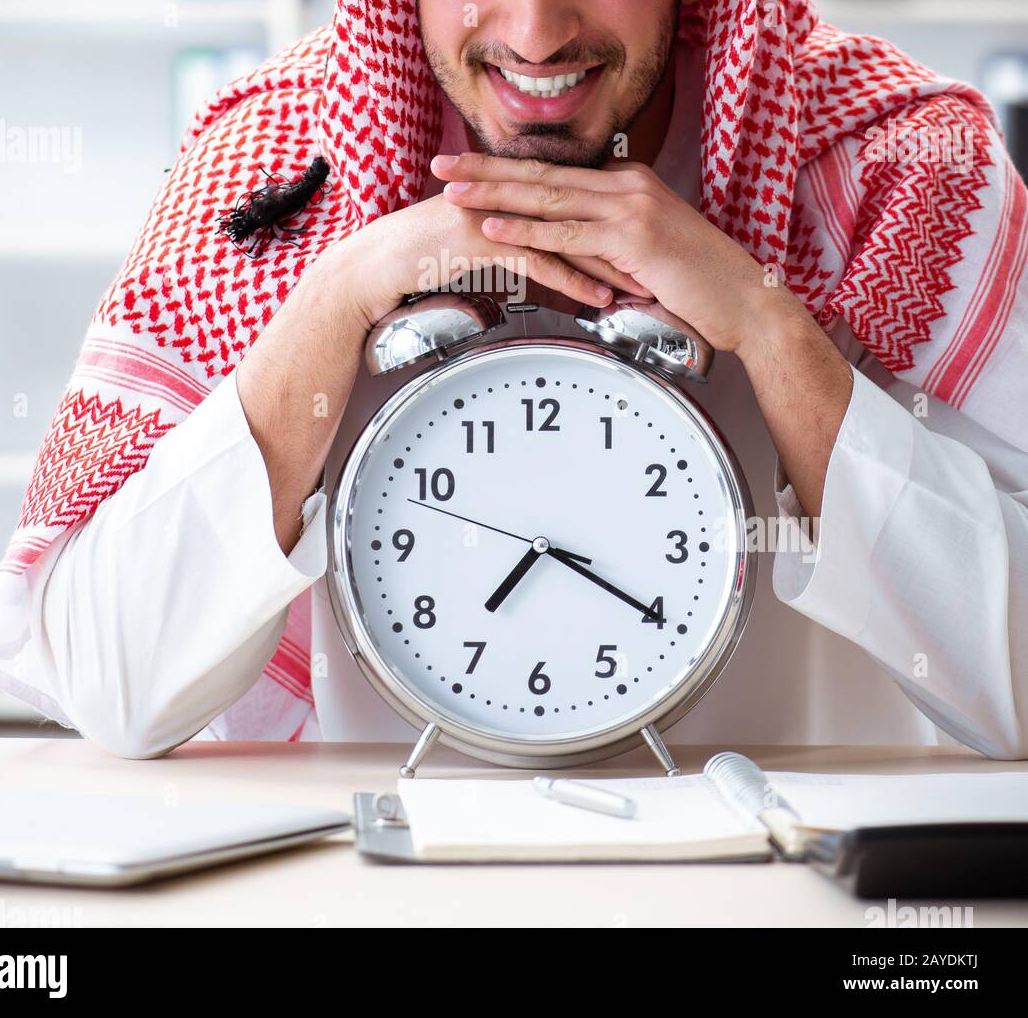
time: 7:19
